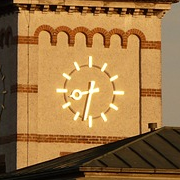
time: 8:32
